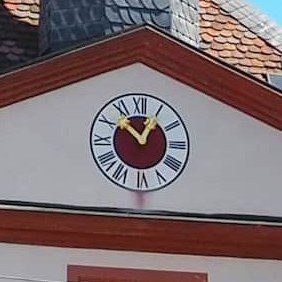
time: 12:52
